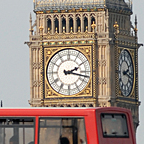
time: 2:17
